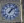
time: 1:08
